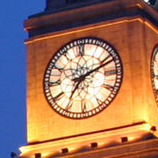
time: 7:11
